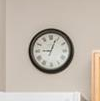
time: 9:03
